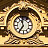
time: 11:35
